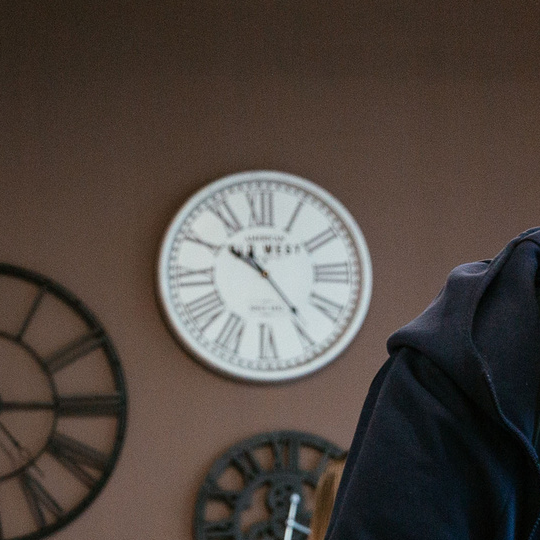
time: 10:23
